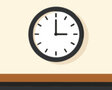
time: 2:59
